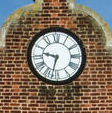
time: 9:32
